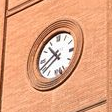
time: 10:39
